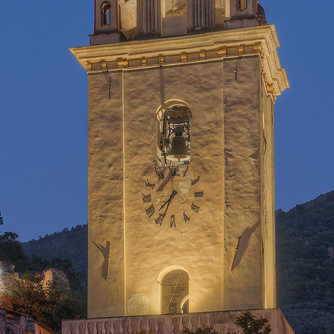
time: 7:34
